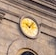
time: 10:07
